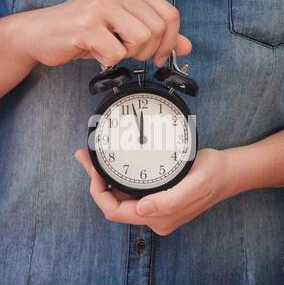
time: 11:57
